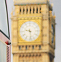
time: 9:28
